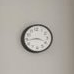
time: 3:44
